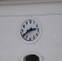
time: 2:39
